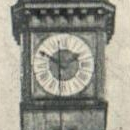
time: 1:49
